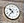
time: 10:37
